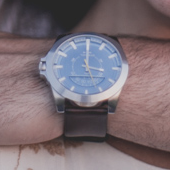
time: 4:00
